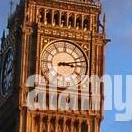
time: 3:12
